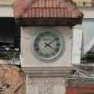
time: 4:08
